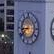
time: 8:38
